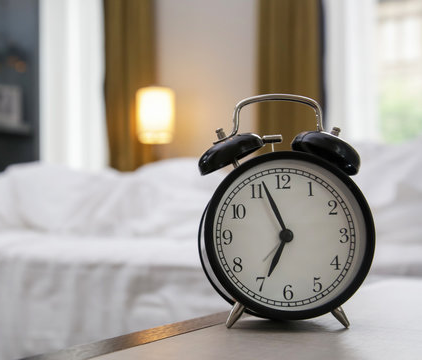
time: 6:56
